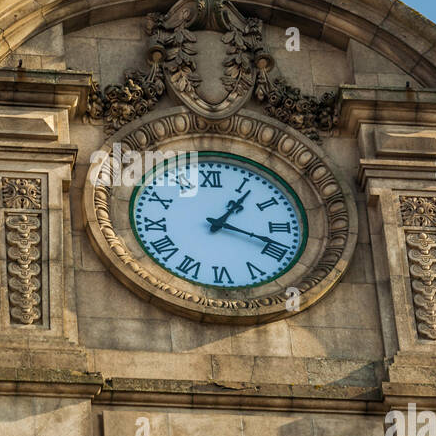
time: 1:18
